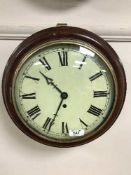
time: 10:34
